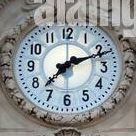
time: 7:11
